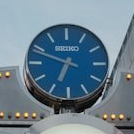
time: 6:48
